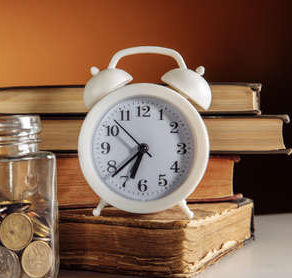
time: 6:38
